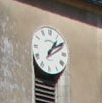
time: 1:09
